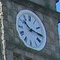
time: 10:15
